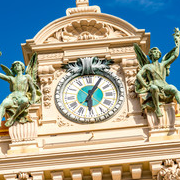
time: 6:06
